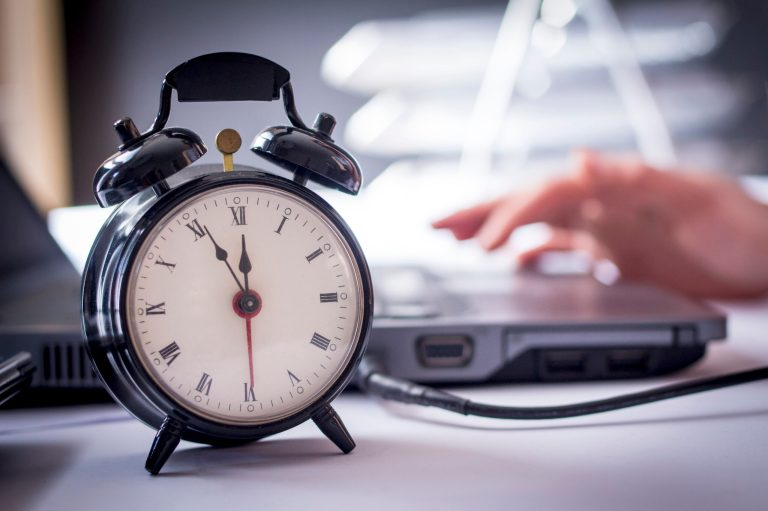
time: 11:55
